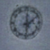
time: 12:09
